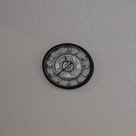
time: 11:37
